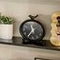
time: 11:35
